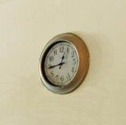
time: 12:44
